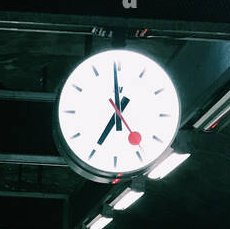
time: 6:59
